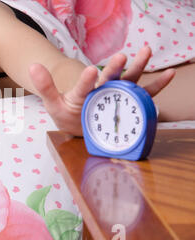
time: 6:00
